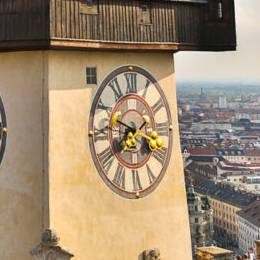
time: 7:48
